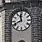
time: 11:41
